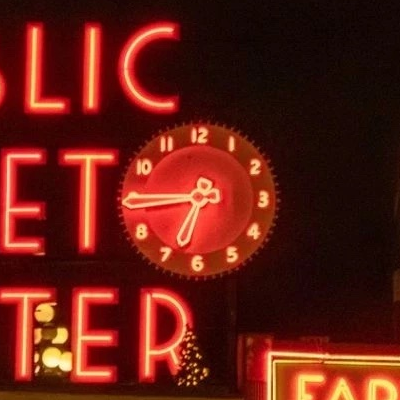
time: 6:45
